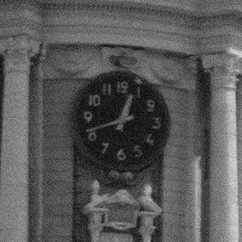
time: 12:41
